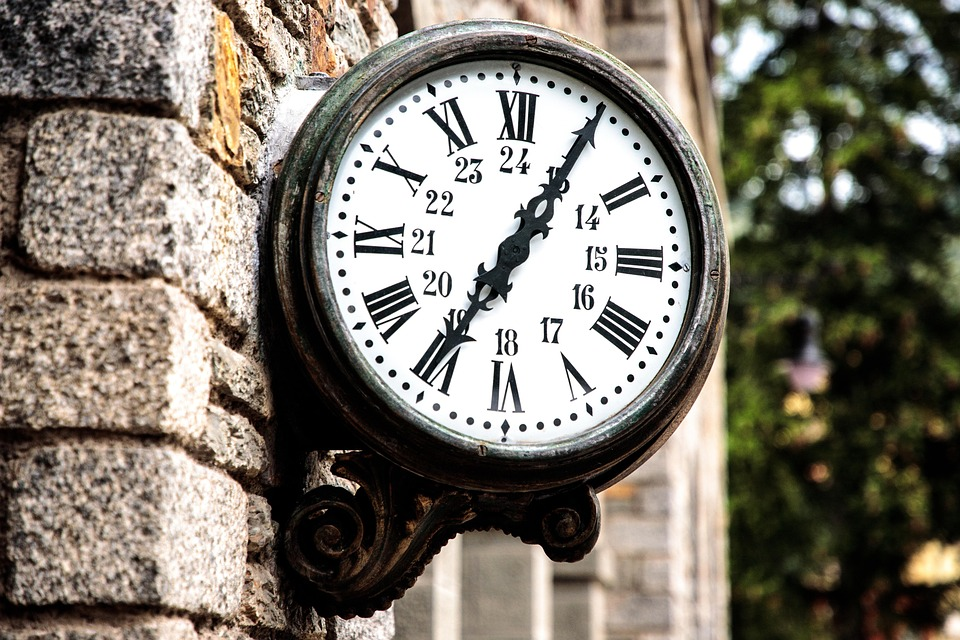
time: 7:05
